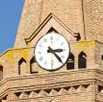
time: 3:23
